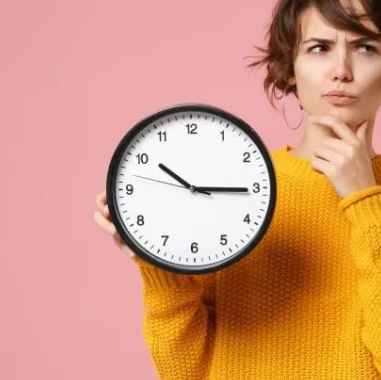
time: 10:15
